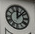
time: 12:07
